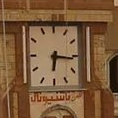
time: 6:15
